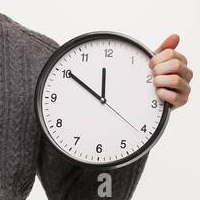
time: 11:50
